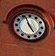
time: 4:56
